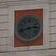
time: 2:42
